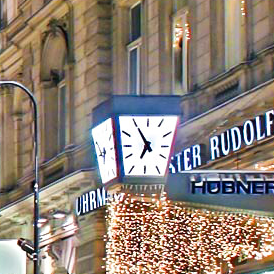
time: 6:54
